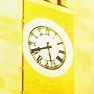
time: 5:40
